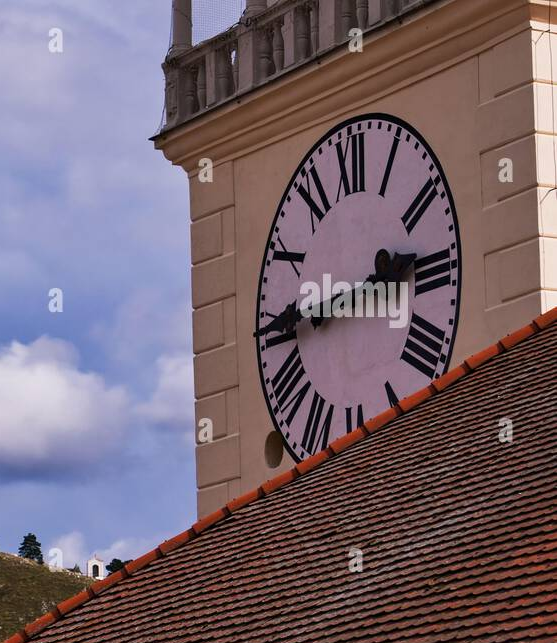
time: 2:44
